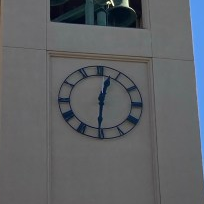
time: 12:30
